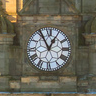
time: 12:55
